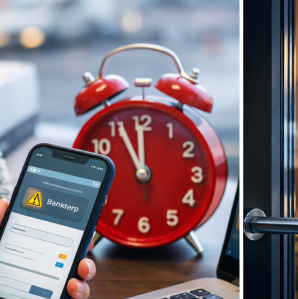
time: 10:59
